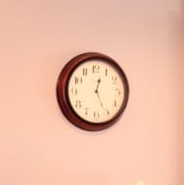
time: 12:26
